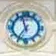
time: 11:35
